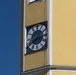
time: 2:40
